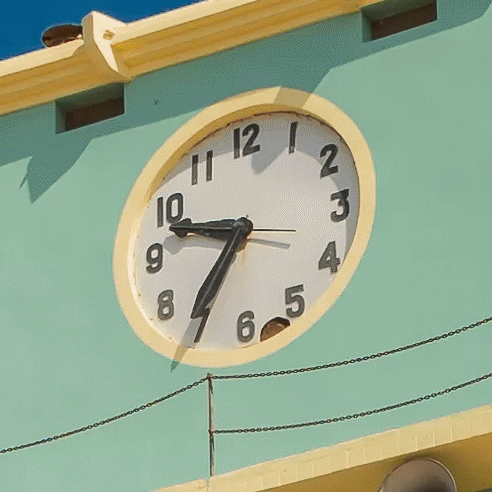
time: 9:36
